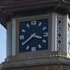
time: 3:39
